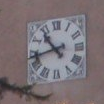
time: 10:42
